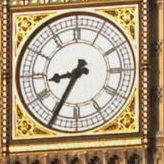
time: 8:34
